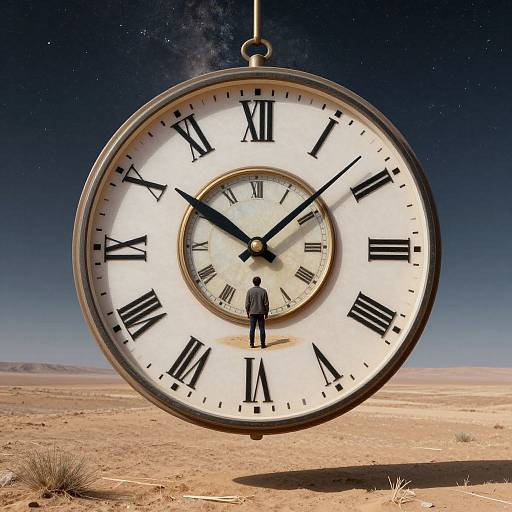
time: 10:07
